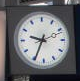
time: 9:34
